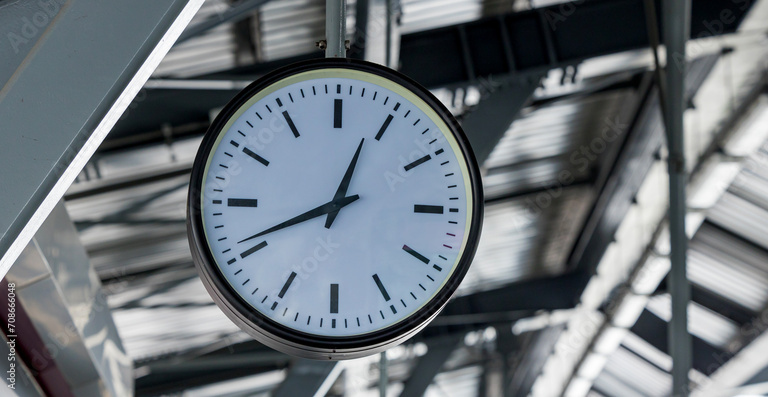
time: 12:41
